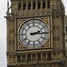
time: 2:15
